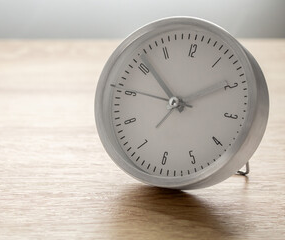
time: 10:09
